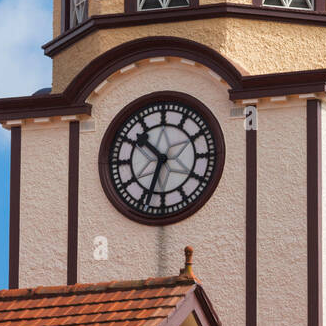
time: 10:33
